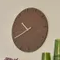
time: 10:41
